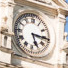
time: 5:15
